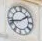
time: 1:42
